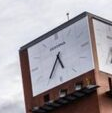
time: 5:35
